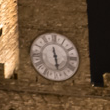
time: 5:28
